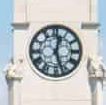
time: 12:26
